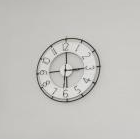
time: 3:00
